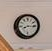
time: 8:15
